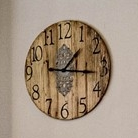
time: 1:16
